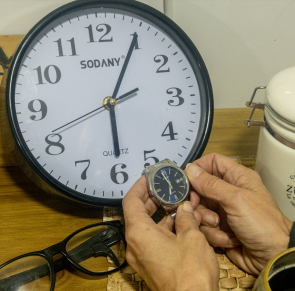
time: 2:29
